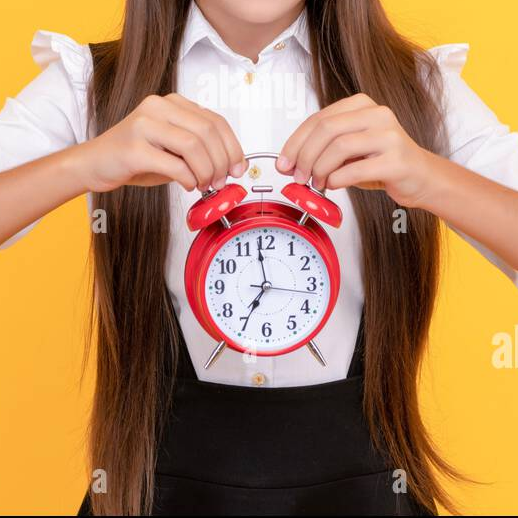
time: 6:58
